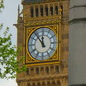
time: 11:53
